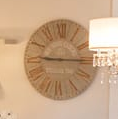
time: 9:15
